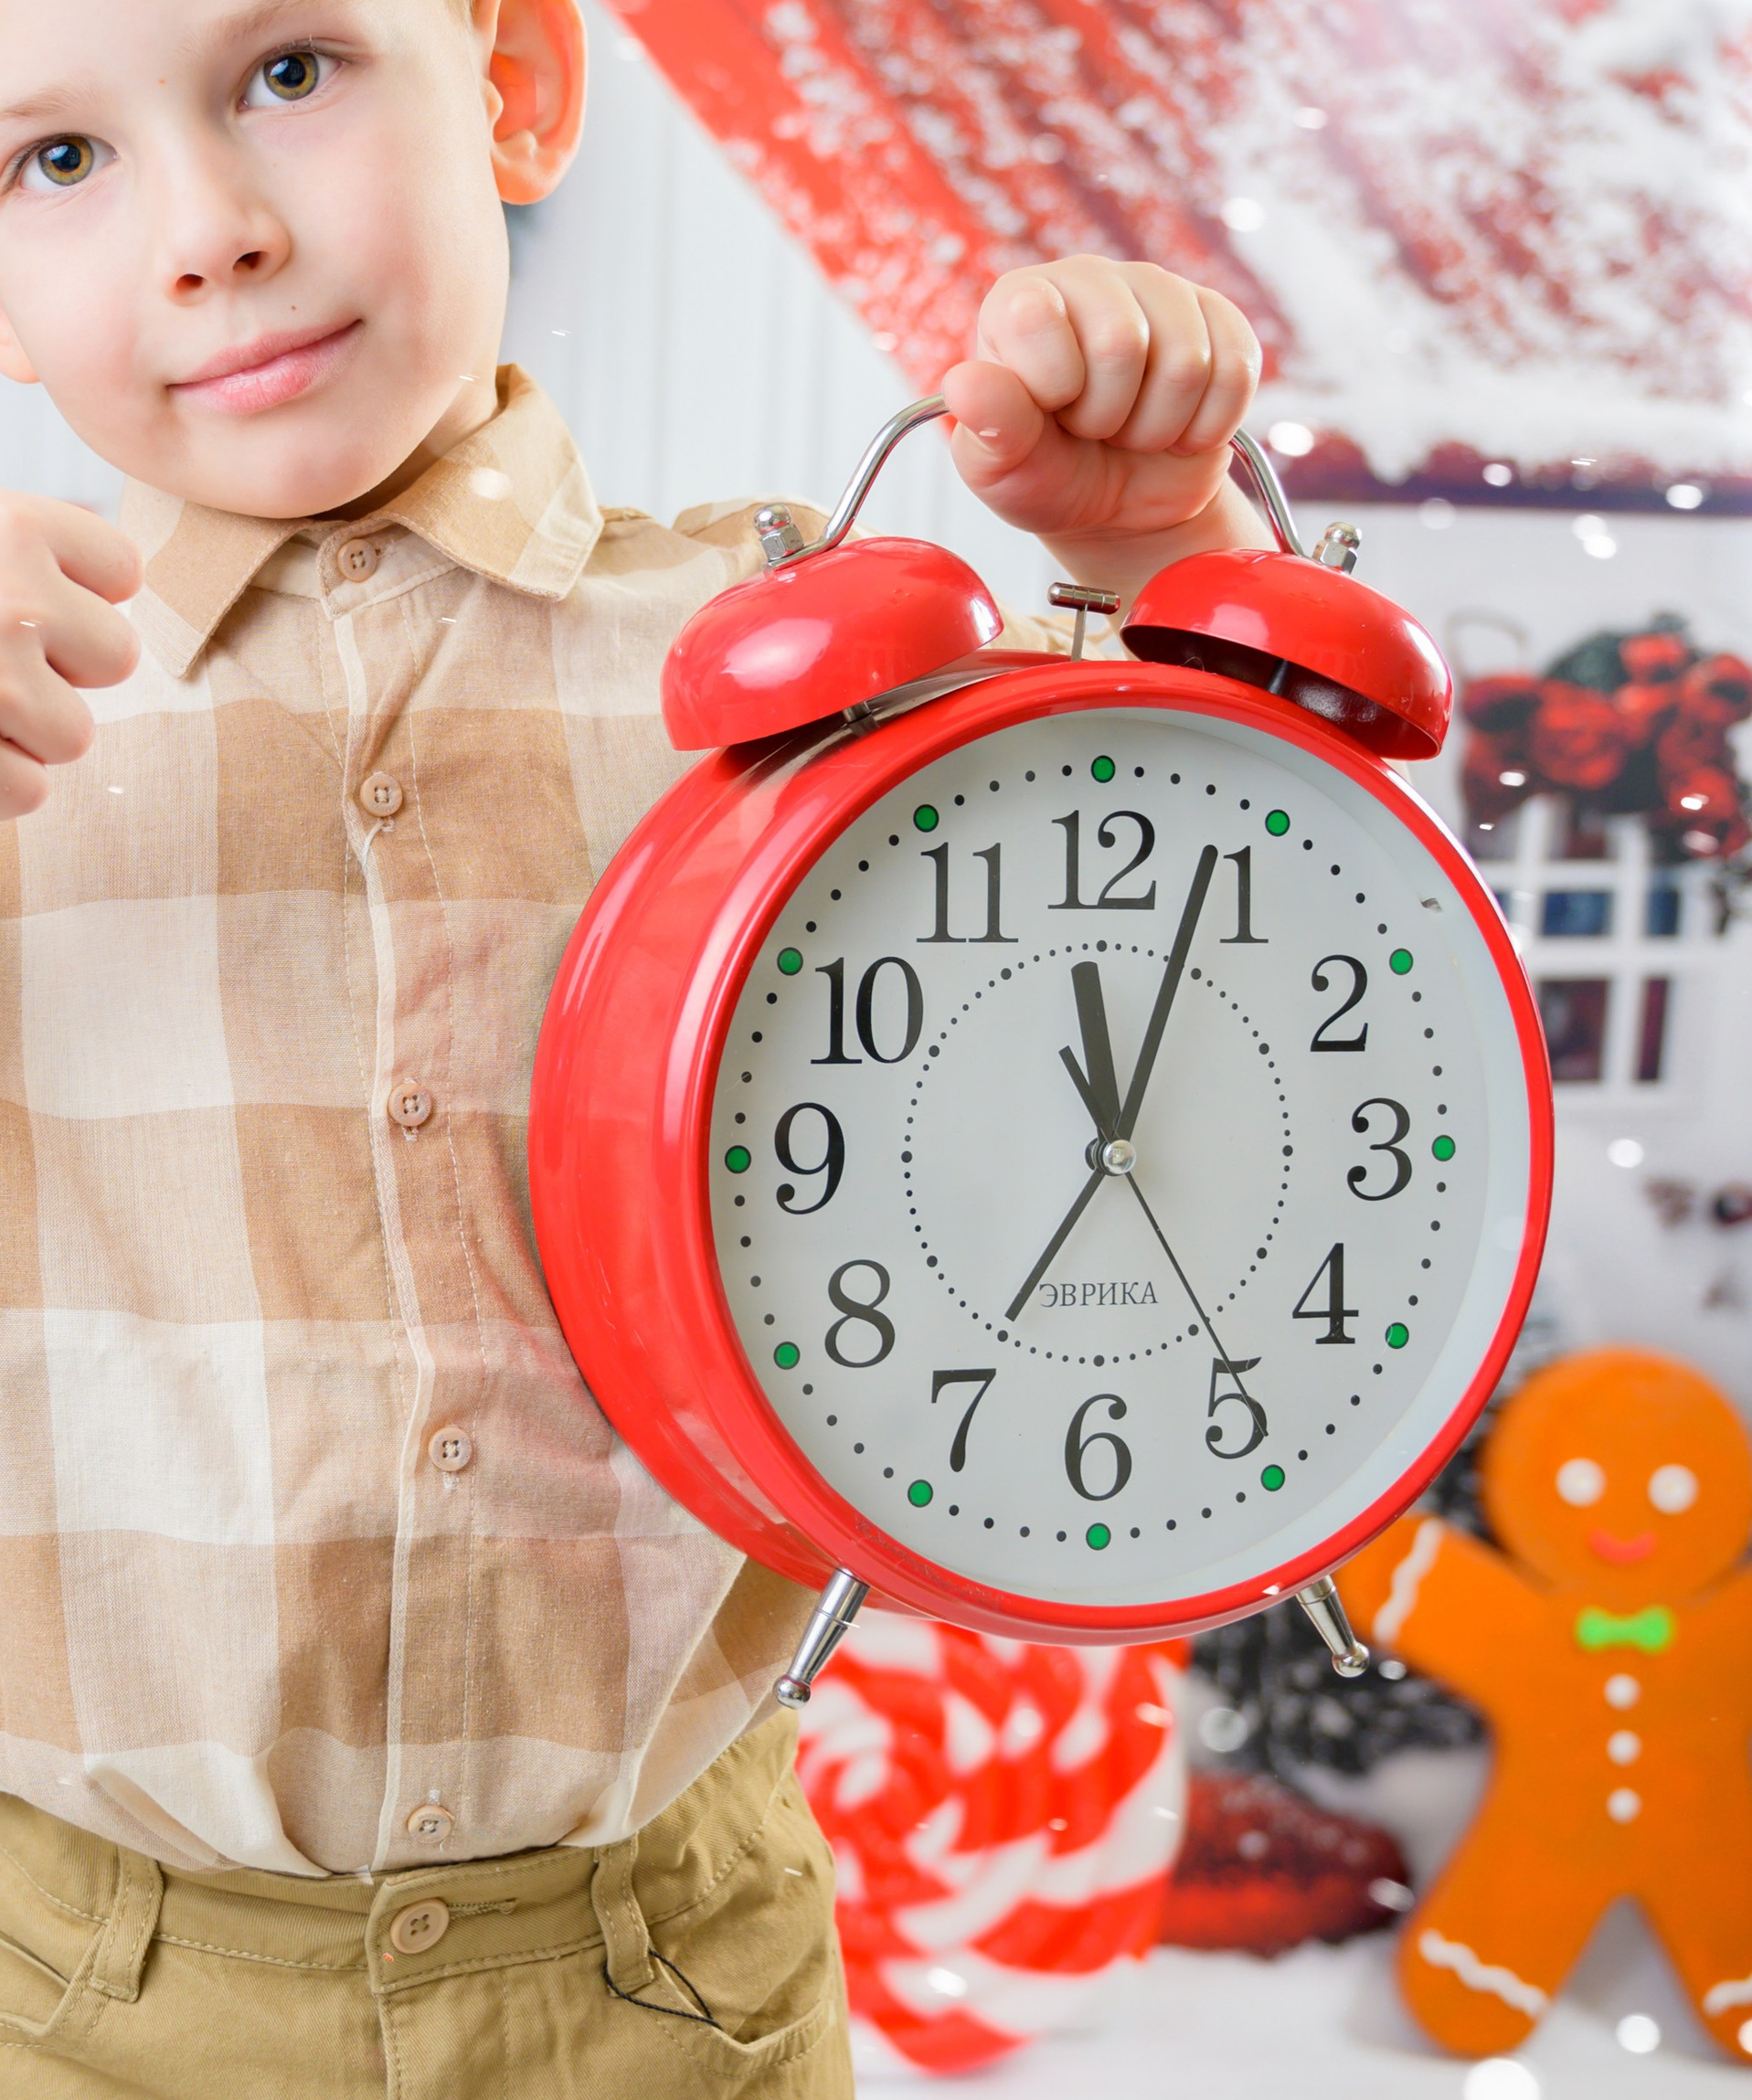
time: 12:03
